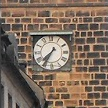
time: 7:35
